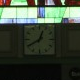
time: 12:40
